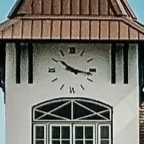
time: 10:16
